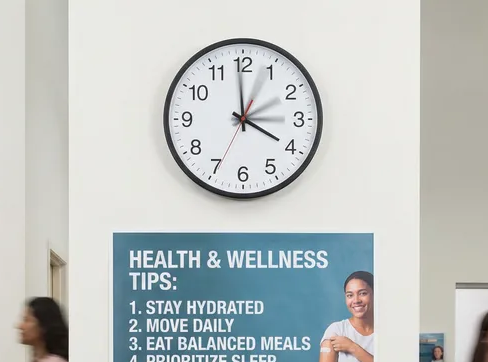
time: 3:59
